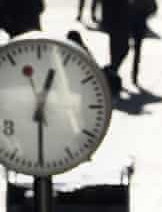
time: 12:30
